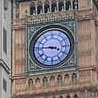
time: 3:45
